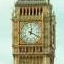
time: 12:19
